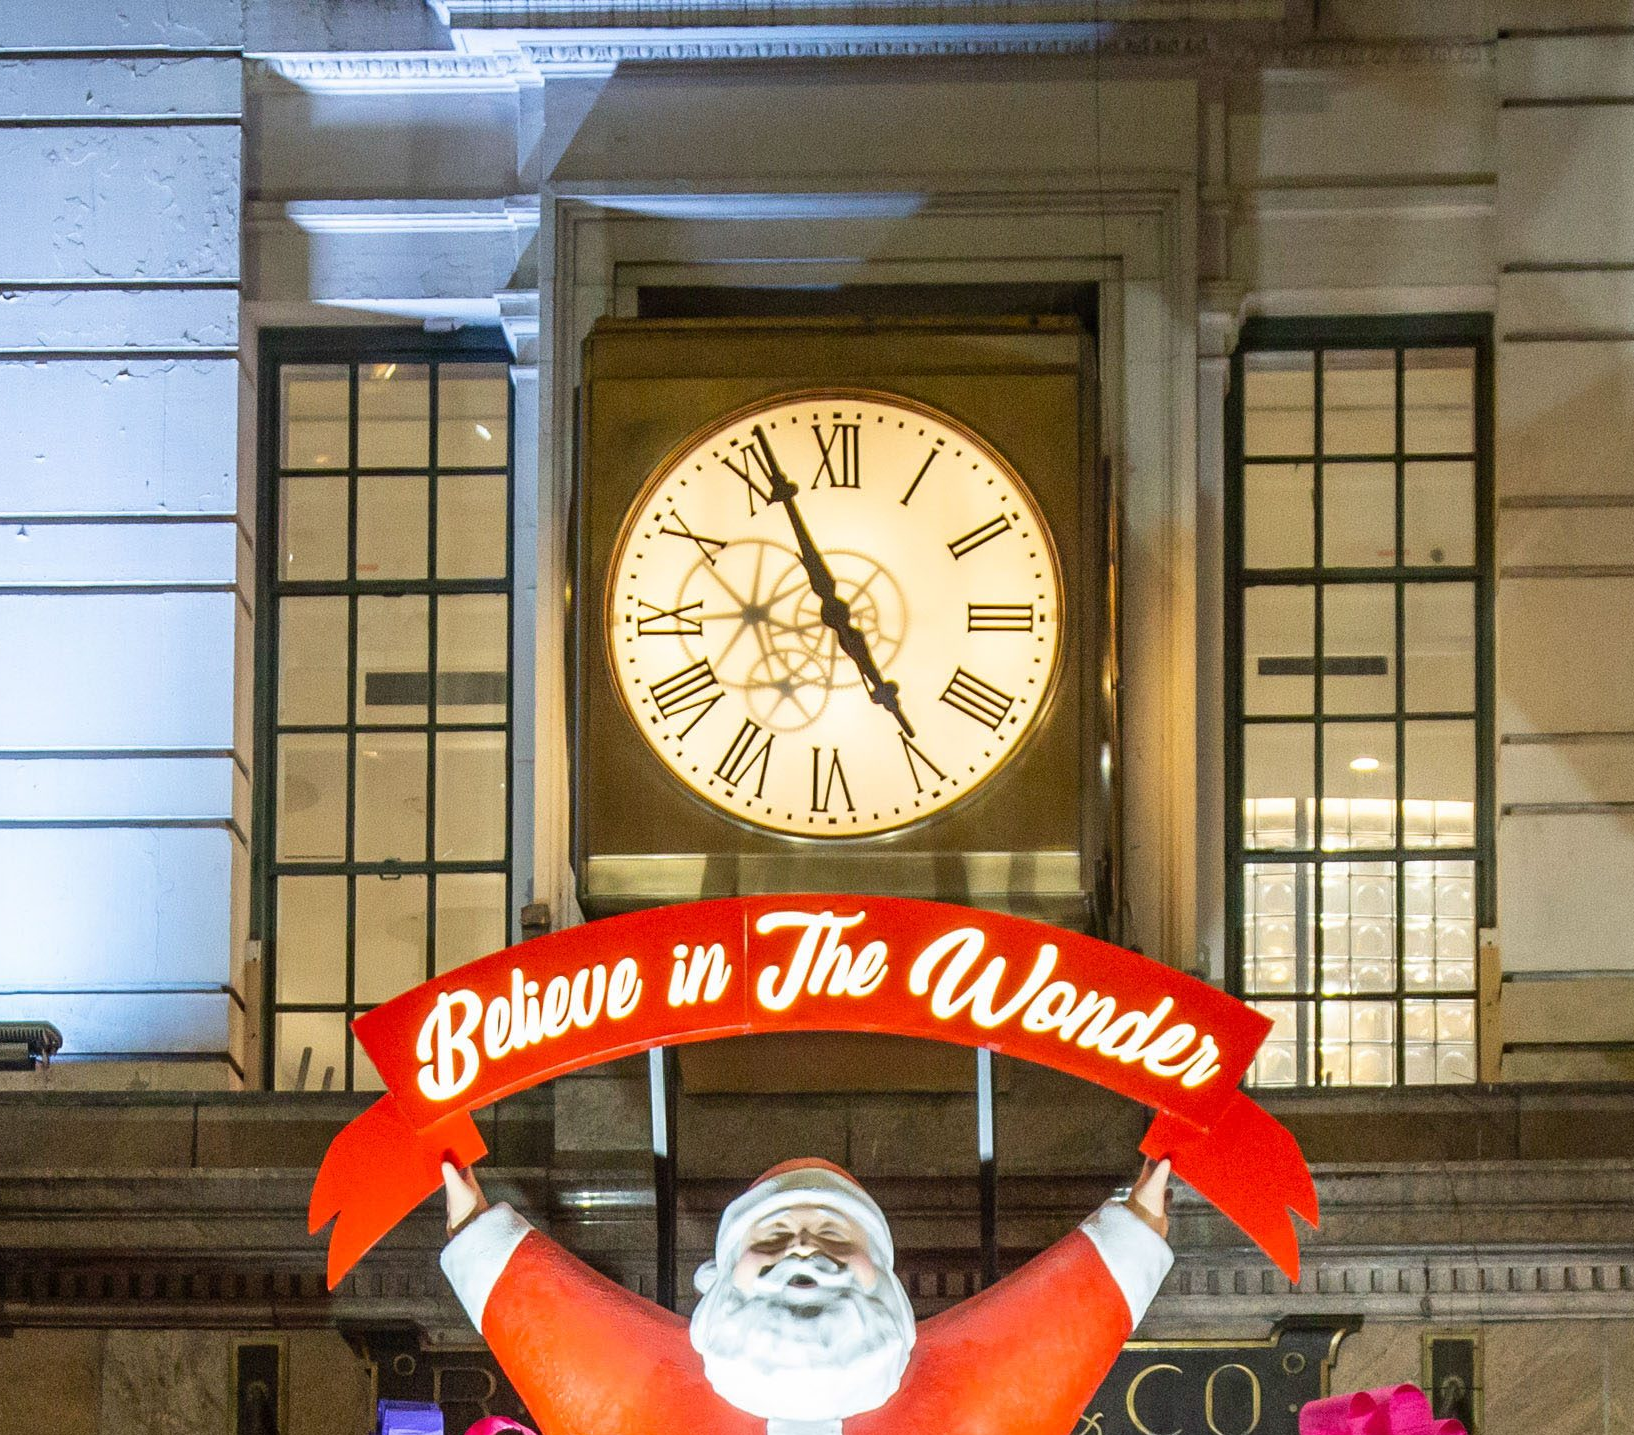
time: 4:56
